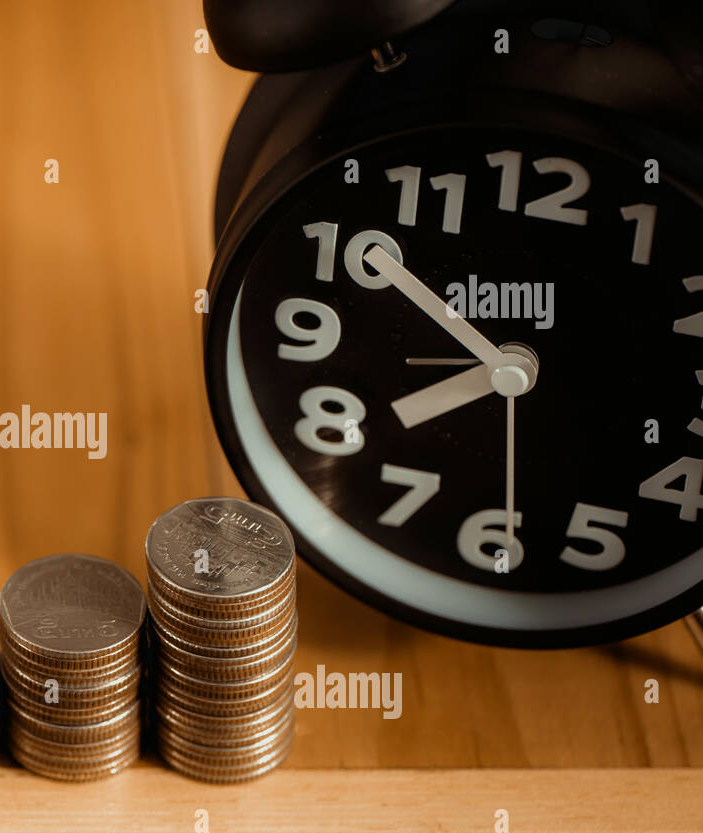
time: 7:51
